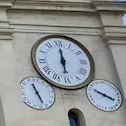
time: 6:00
